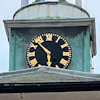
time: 5:51
